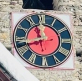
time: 11:42
